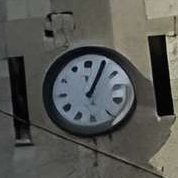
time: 1:04
